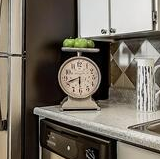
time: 5:41
